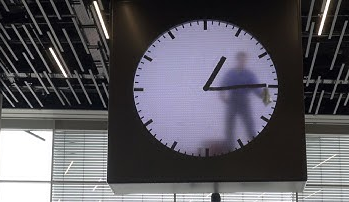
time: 1:14
